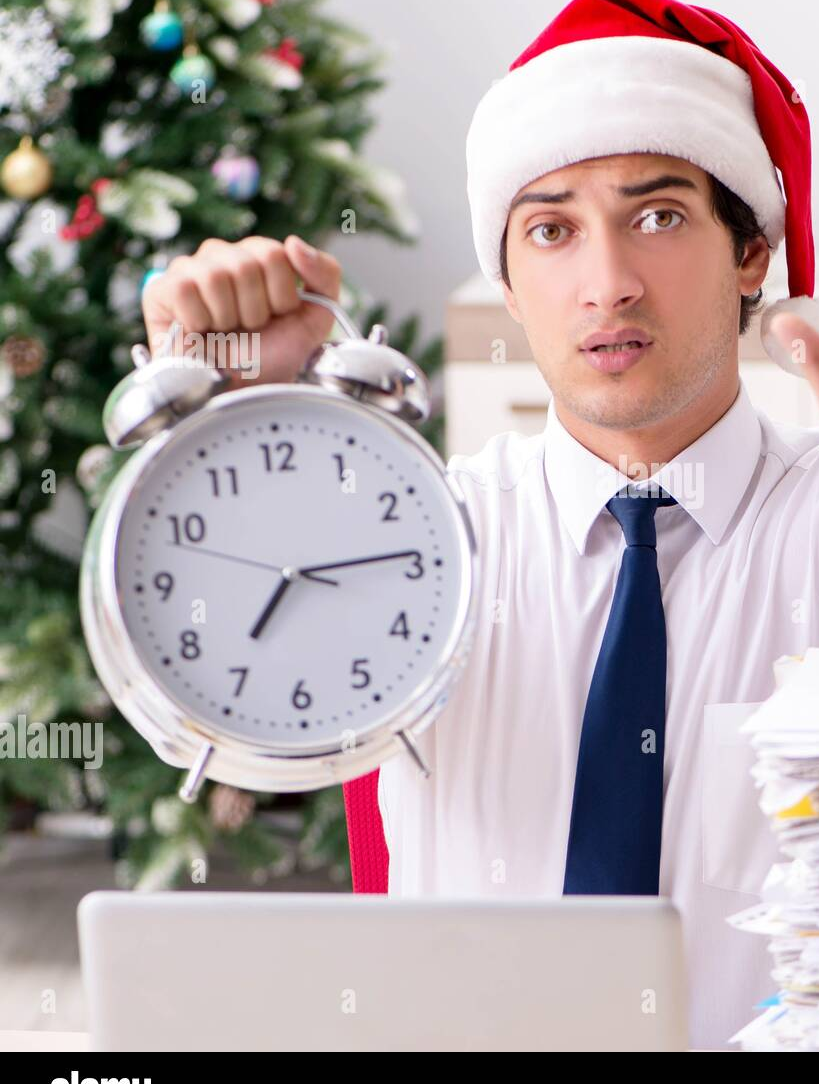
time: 7:14
